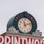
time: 11:12
